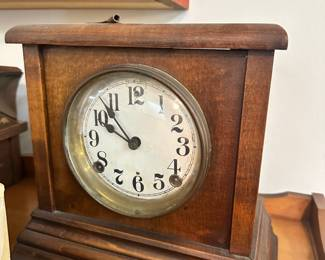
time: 9:53
